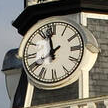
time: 7:58
